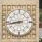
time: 8:43
